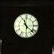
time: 11:22
